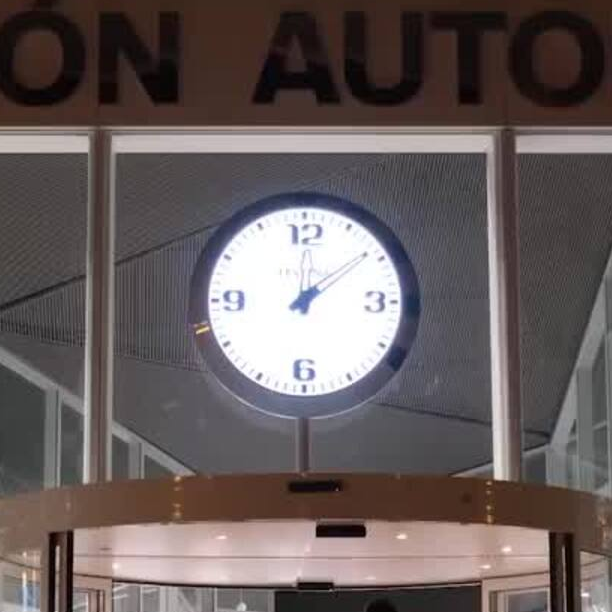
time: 12:08
